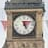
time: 5:12
